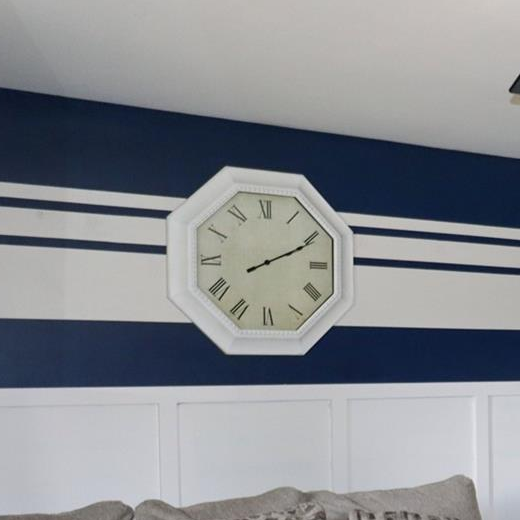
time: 2:10
